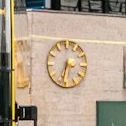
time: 3:32
